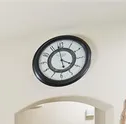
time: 3:58
